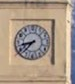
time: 8:37
